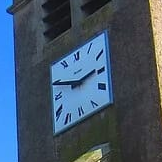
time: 2:48
